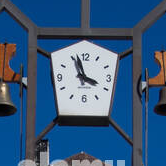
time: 3:57
